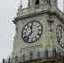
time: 11:37
